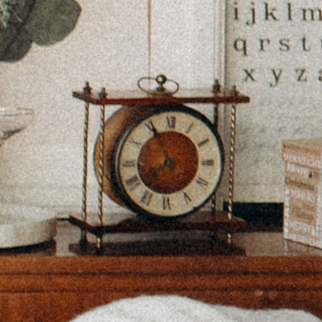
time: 7:55
